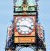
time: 3:44
